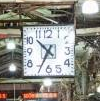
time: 10:34
